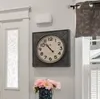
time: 10:53
